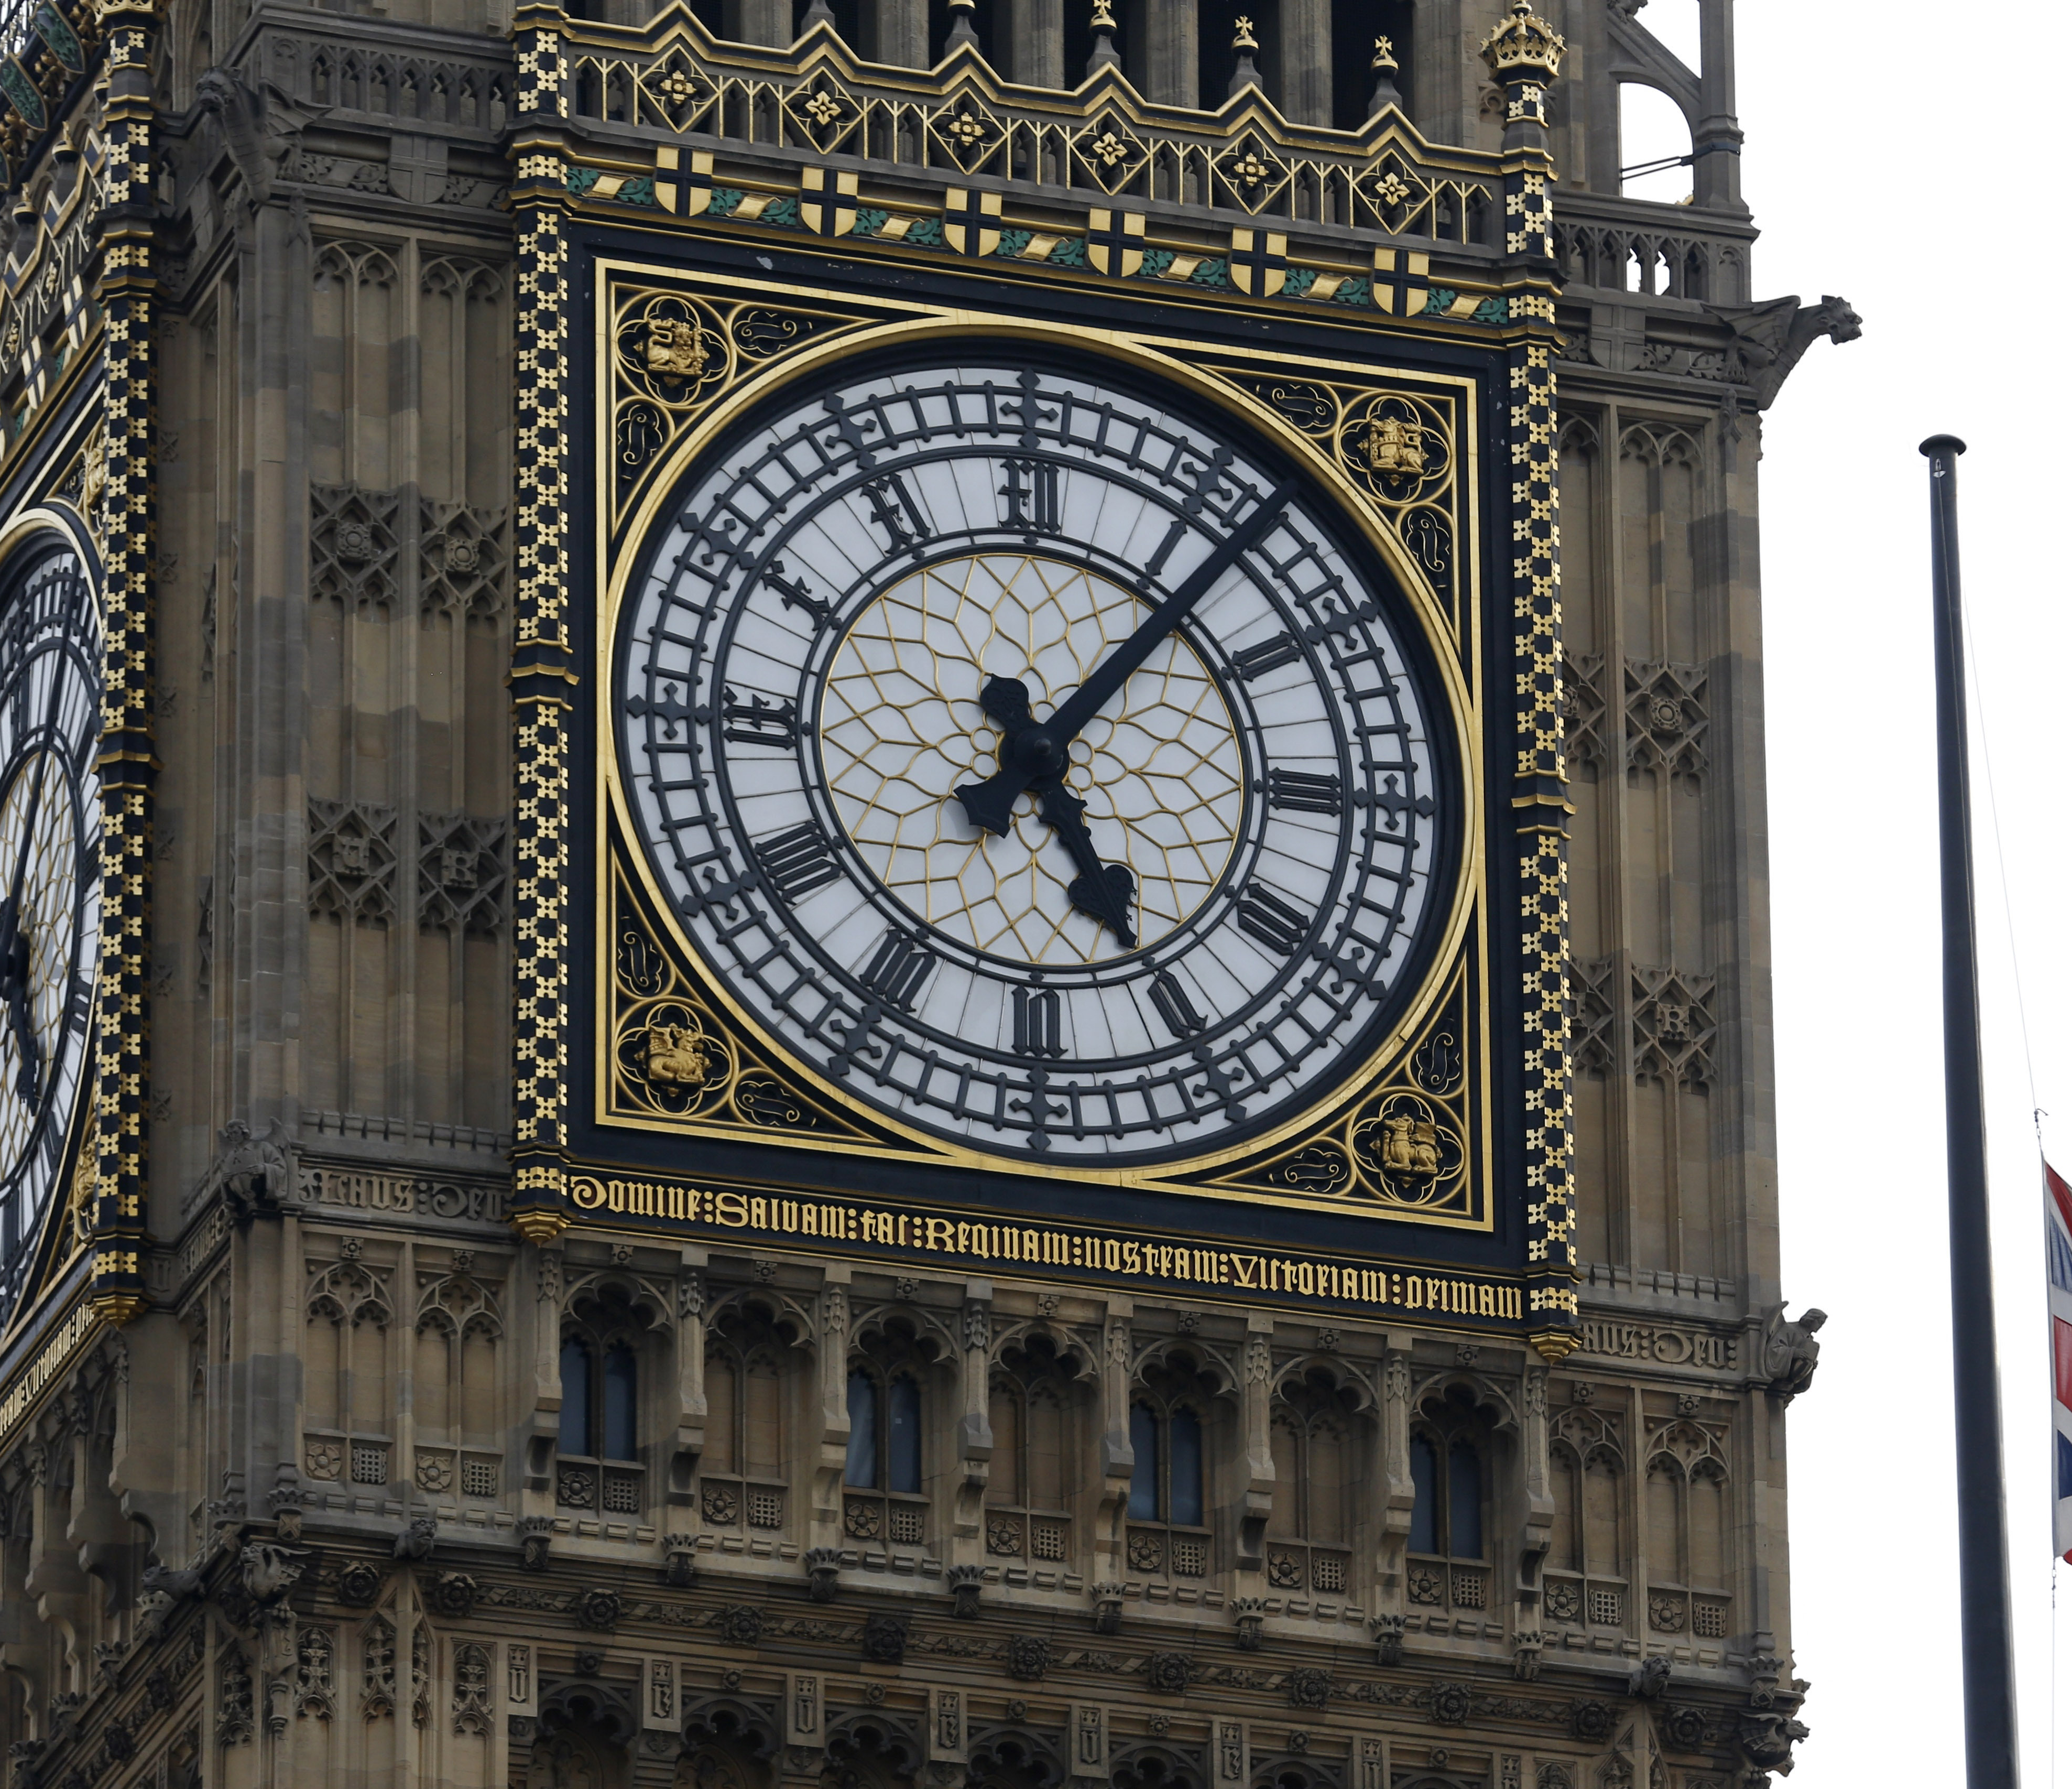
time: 5:06
